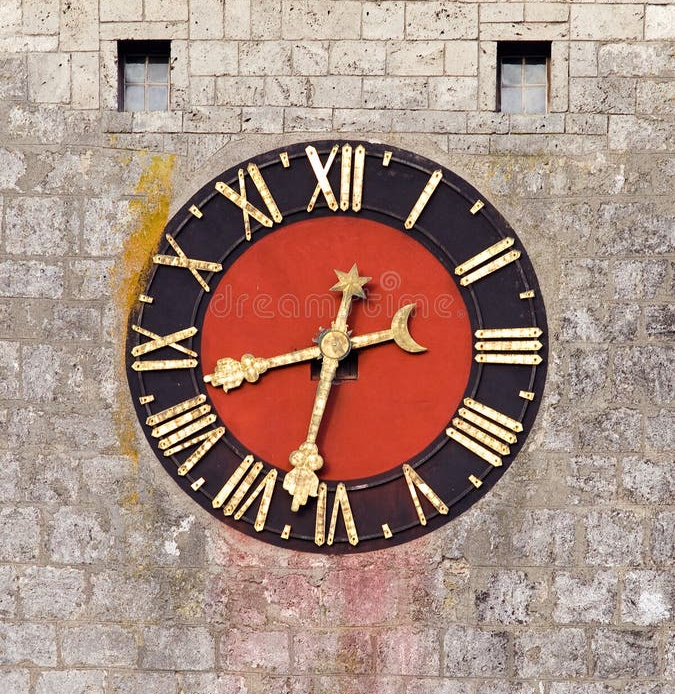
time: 8:32
